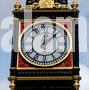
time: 12:07
